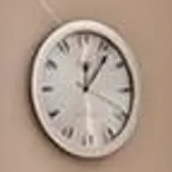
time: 12:06
